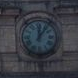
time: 12:06
